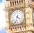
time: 4:32
